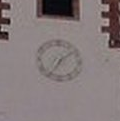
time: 7:08
